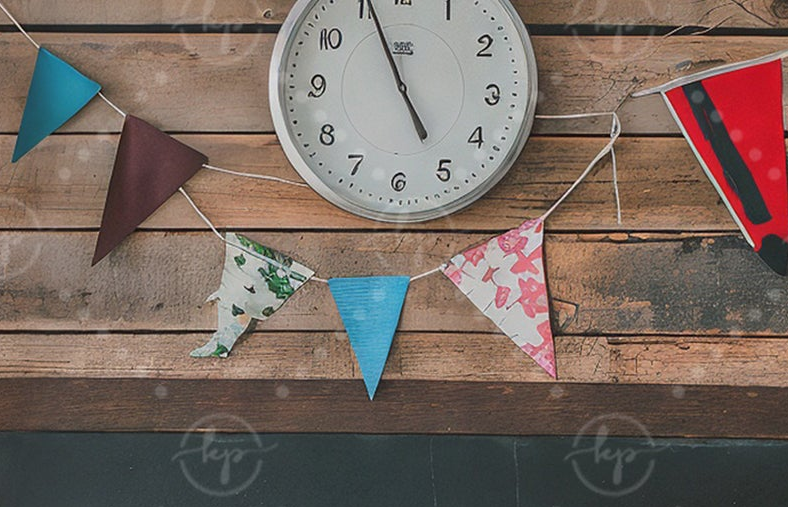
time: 4:56
